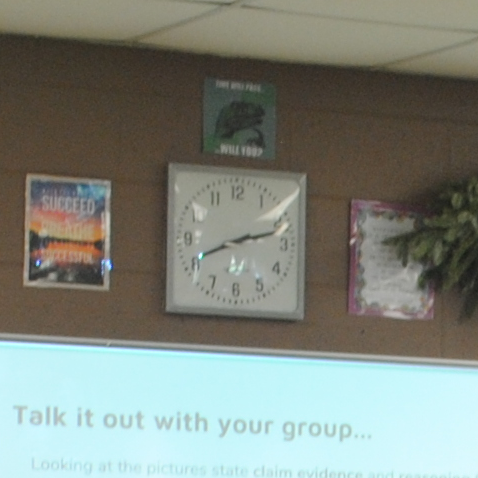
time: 8:12
